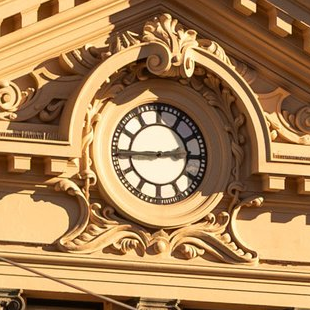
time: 2:44
